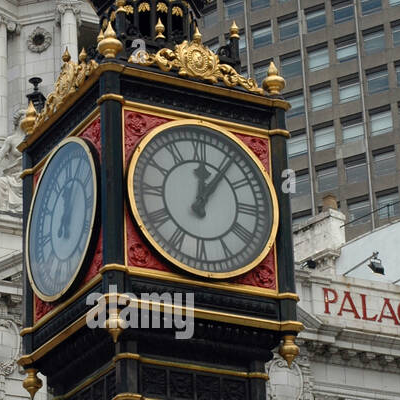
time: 12:06
